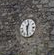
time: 12:28
